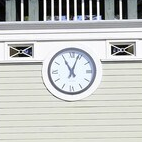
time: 11:03
